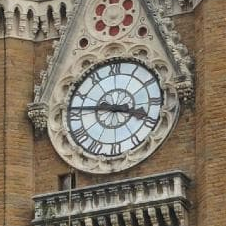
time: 3:46
